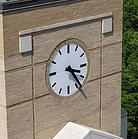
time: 3:23
